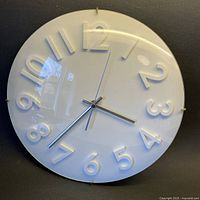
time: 3:37
